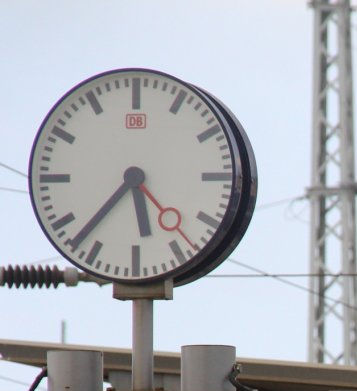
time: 5:37
